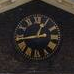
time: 12:43
